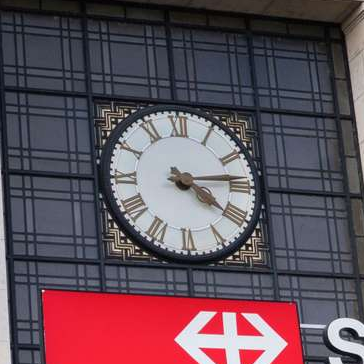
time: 4:13
